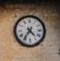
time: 4:35
